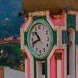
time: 10:41
